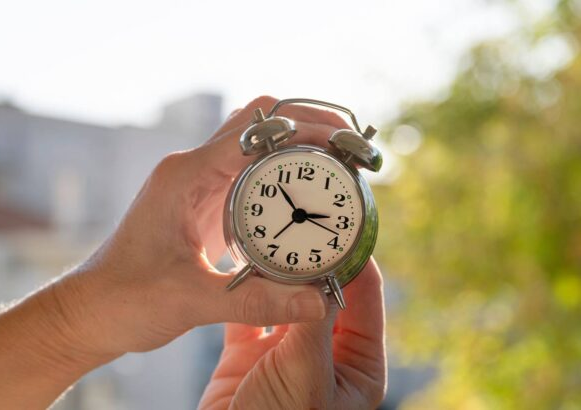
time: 2:53
